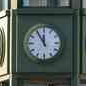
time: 11:54
